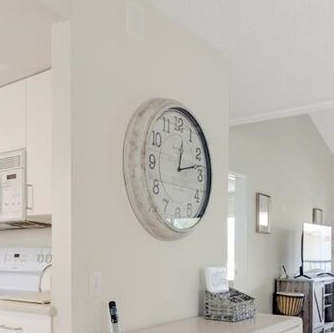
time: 12:12
